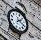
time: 2:21
